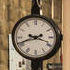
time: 9:41
